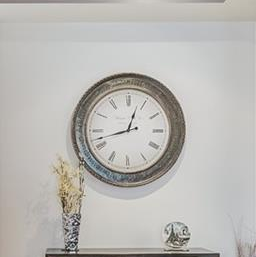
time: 12:42
